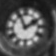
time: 1:56
